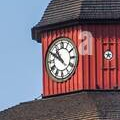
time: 10:50
